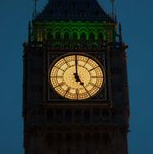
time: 4:59
